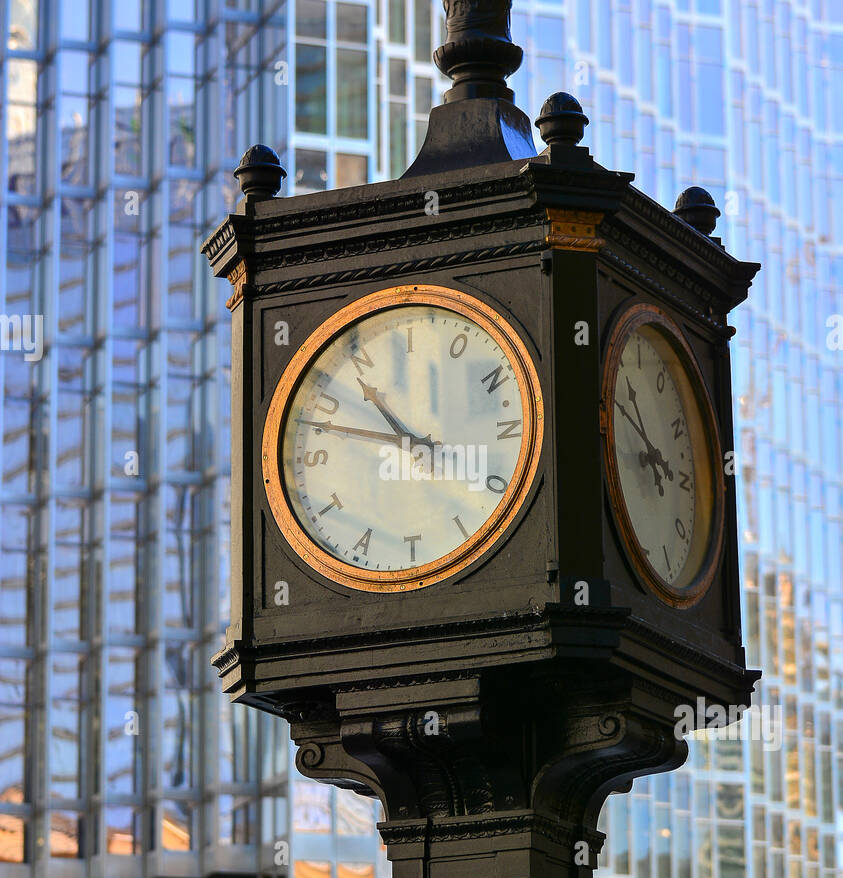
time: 10:48
